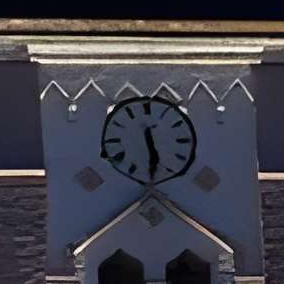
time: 5:29
